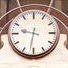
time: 9:32
